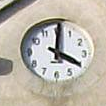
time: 4:00
